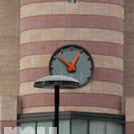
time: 12:51
